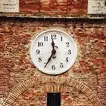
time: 11:34
